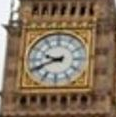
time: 9:41
